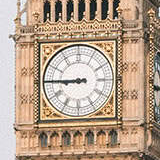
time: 8:45
